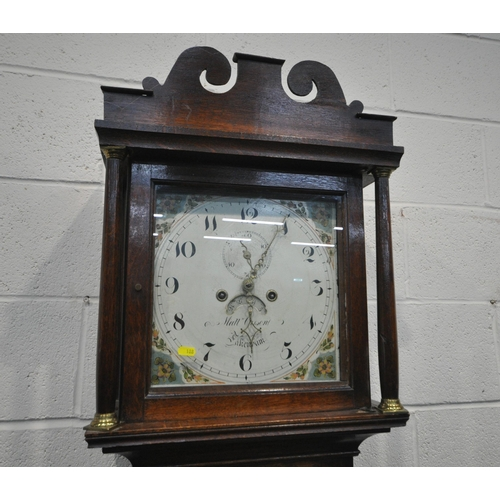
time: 9:04
